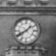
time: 1:40
